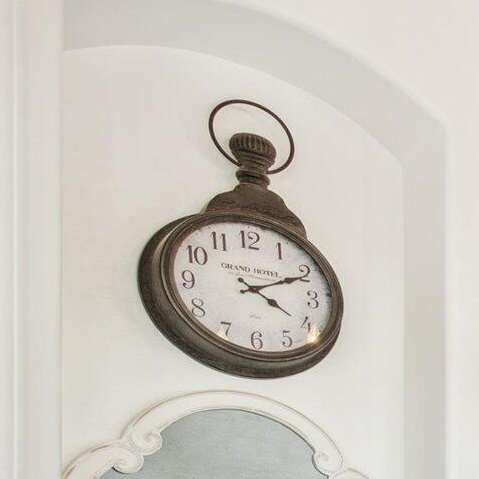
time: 4:10
